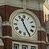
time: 11:25
